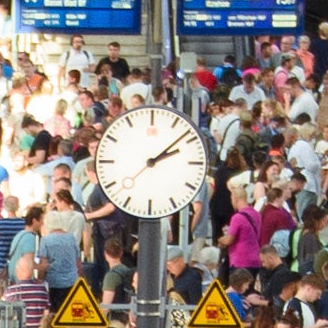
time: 2:08
